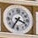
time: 3:35
